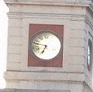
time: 6:47
